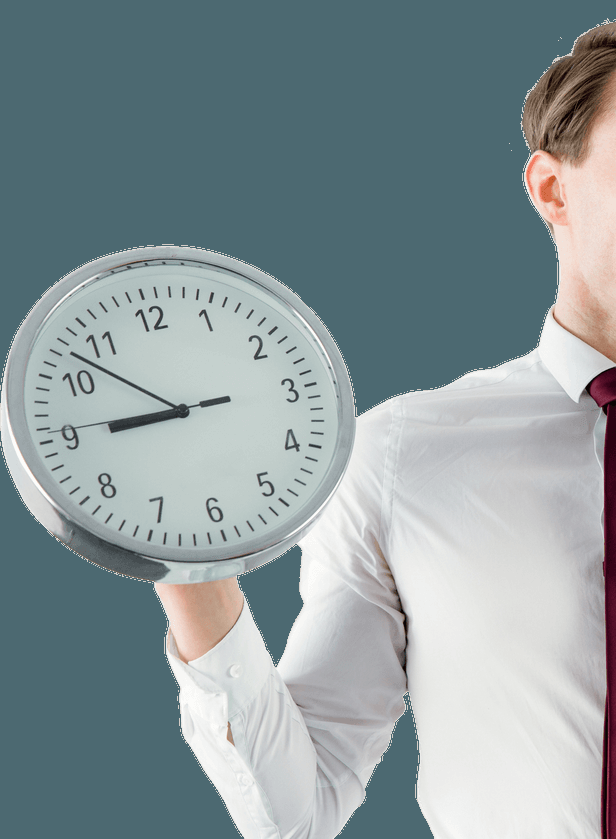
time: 8:52
